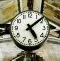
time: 5:08
